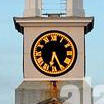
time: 6:25
